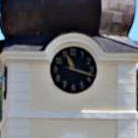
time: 11:17
